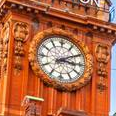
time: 3:09
